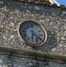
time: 6:20
